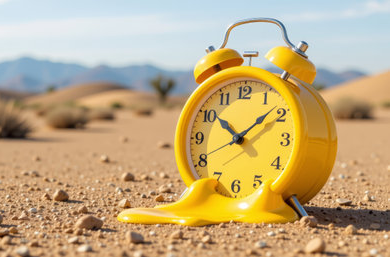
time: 10:08
